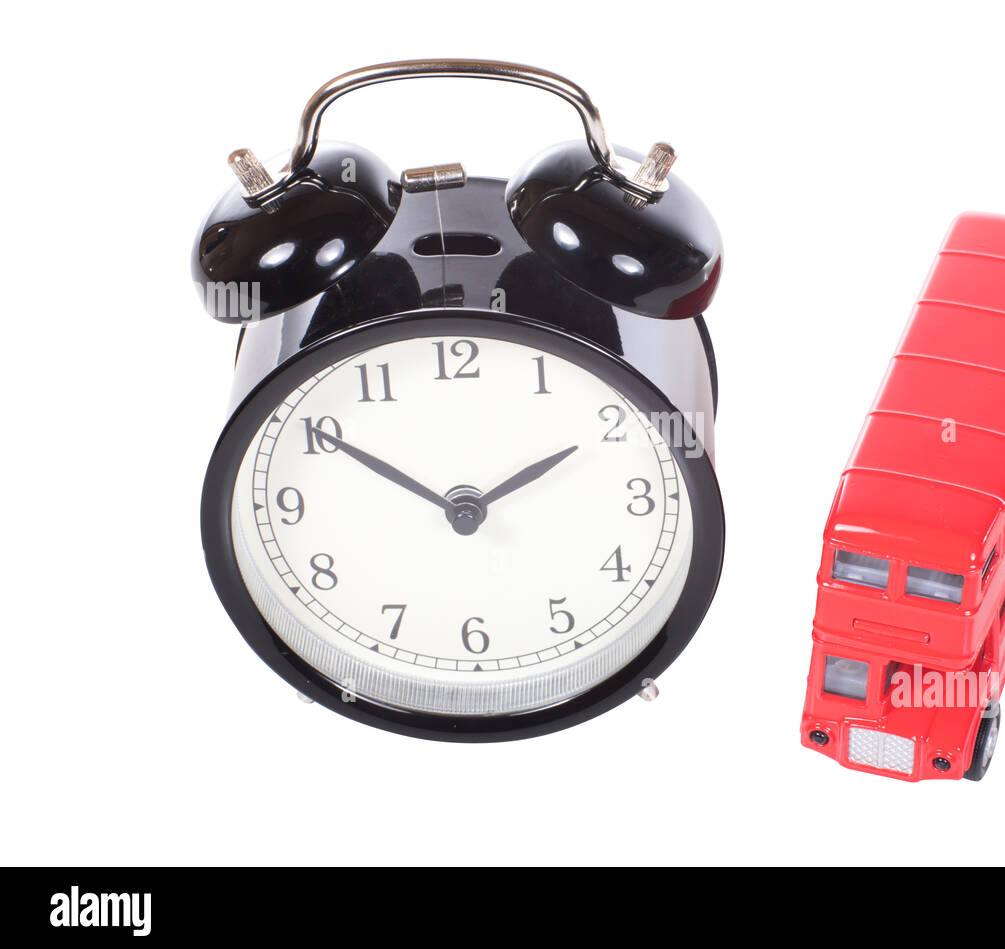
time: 1:50
